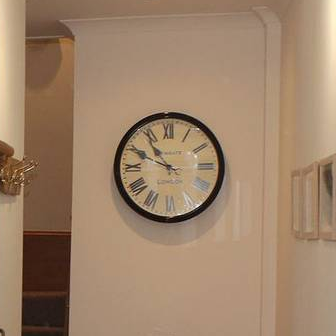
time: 10:49
